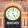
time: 5:00
